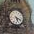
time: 5:18
